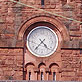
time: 4:37
